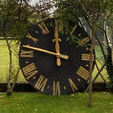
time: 11:47
